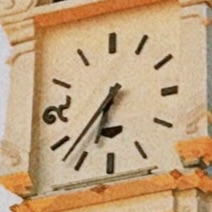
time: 6:37
